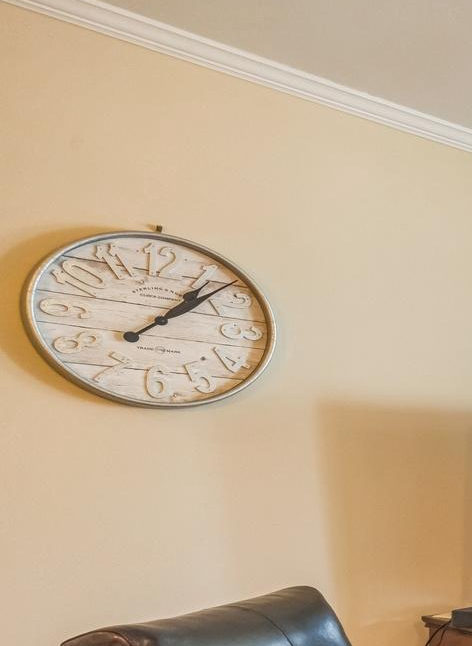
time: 1:07
